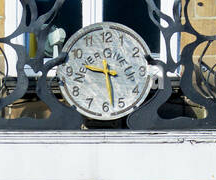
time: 9:28
